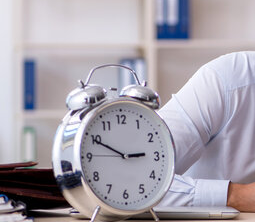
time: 2:49
